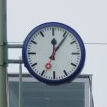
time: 12:06
